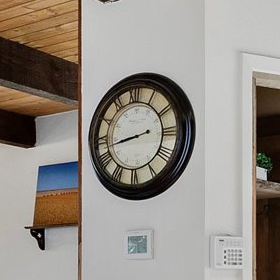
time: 8:42
